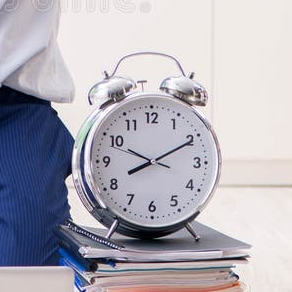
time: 8:10
